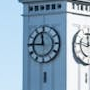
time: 11:45
